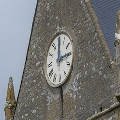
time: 12:14
